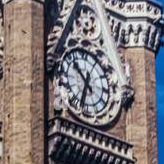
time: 10:34
